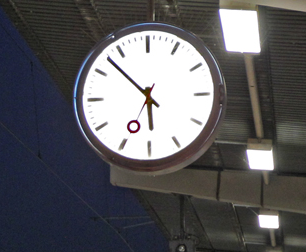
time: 5:52
